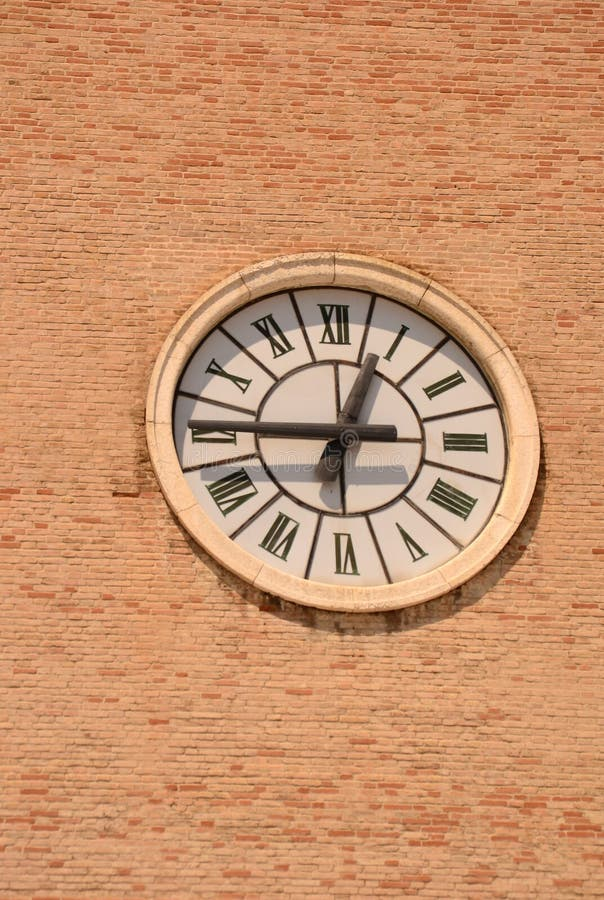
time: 12:45
